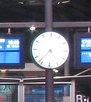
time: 4:36
